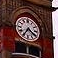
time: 4:35
